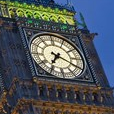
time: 7:19
